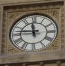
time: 11:46
